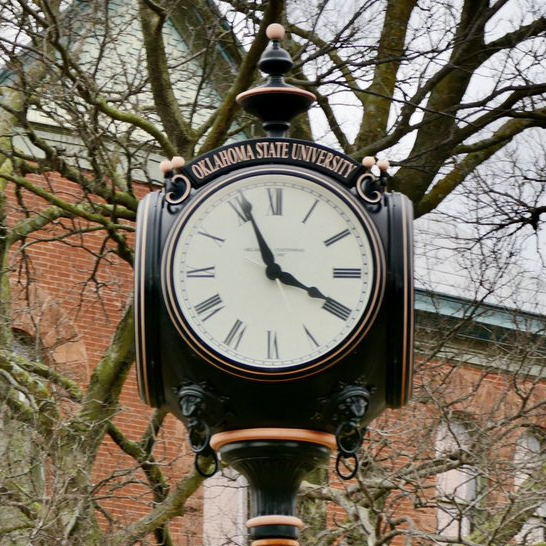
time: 3:55
